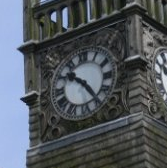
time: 10:24
